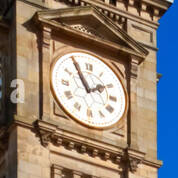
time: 1:54
